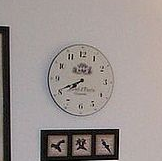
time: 7:40
